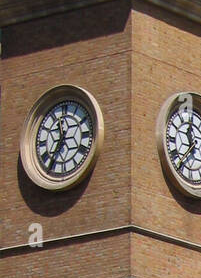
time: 11:35
